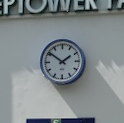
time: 1:51
